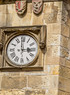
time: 2:59
